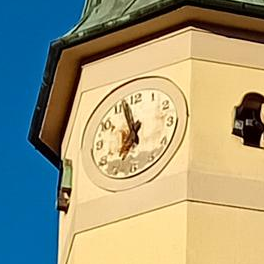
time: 6:56
